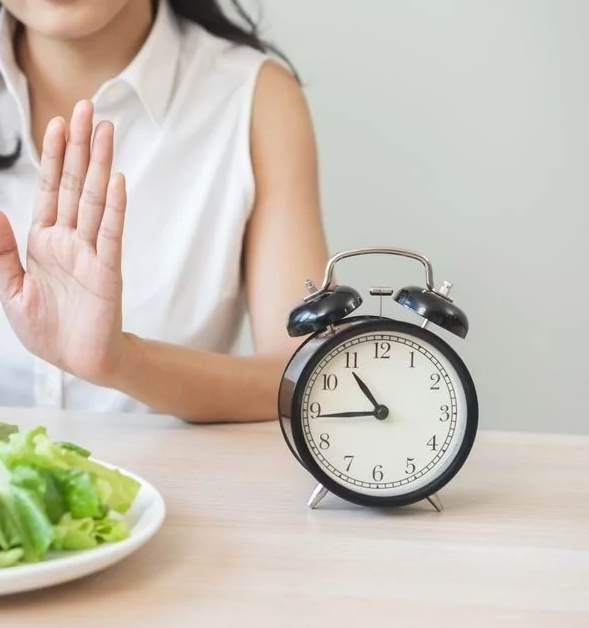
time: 10:44
